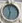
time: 11:32
